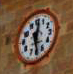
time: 12:28
